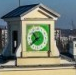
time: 10:38
